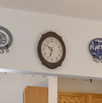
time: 10:33
